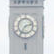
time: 7:12
